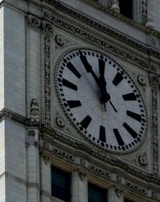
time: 11:53
